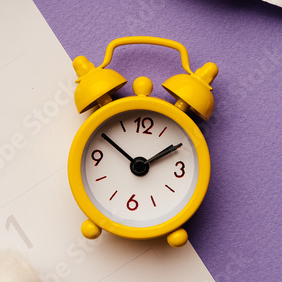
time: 1:50
